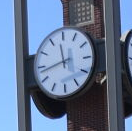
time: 11:43
